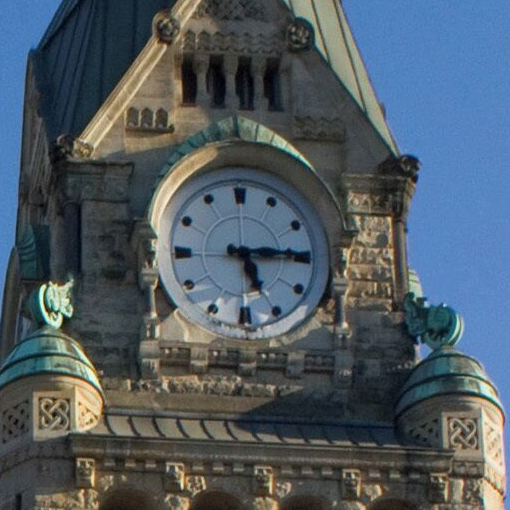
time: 5:15
